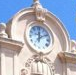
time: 12:09
